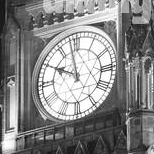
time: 9:57
